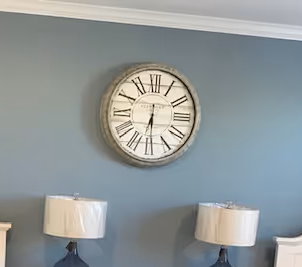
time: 6:29
